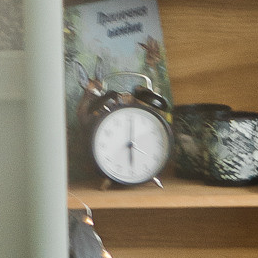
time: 6:01
